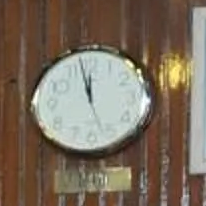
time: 11:57
